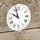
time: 9:57
